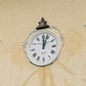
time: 12:03
